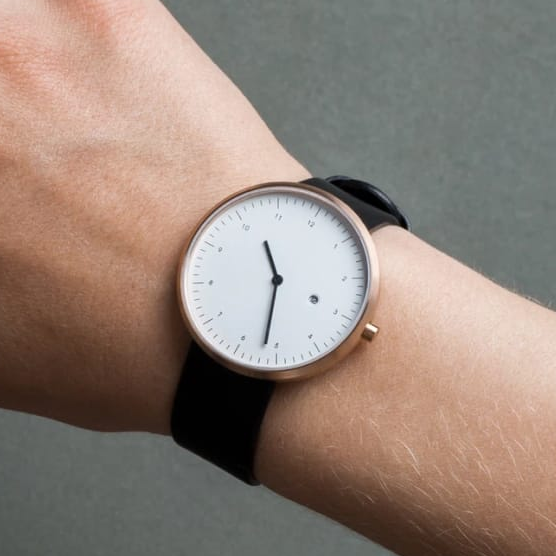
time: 11:31
